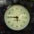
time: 5:45
